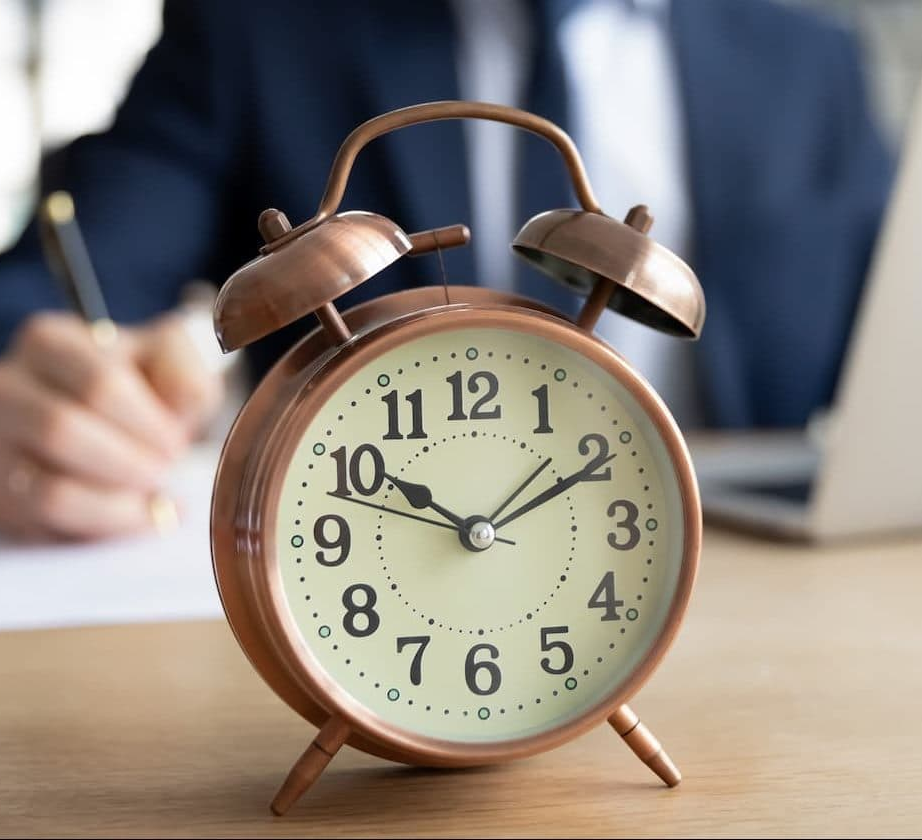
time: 10:10
